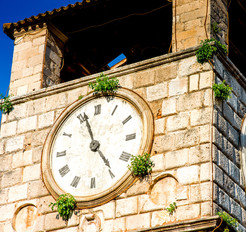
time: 4:56
